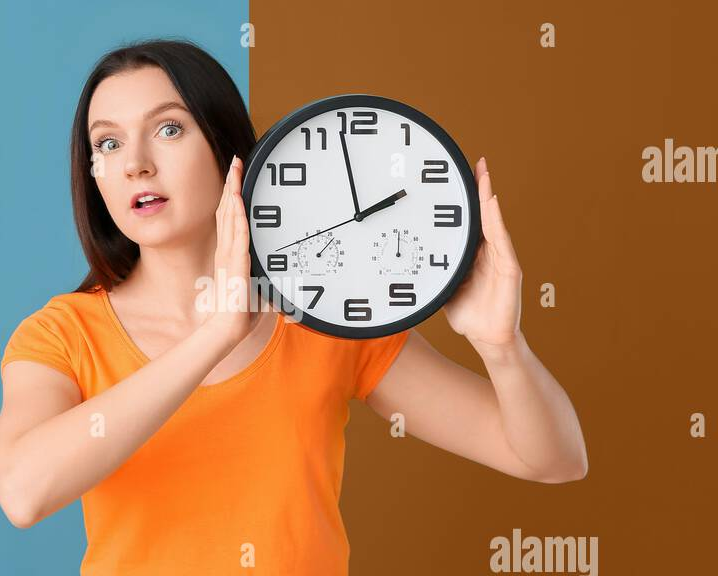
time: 1:57
